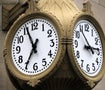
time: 6:55
